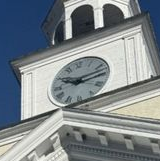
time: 9:12
